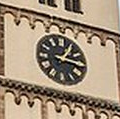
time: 1:16
